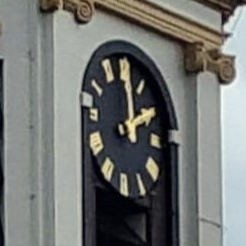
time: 1:59
